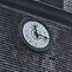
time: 11:16
